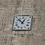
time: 12:52
